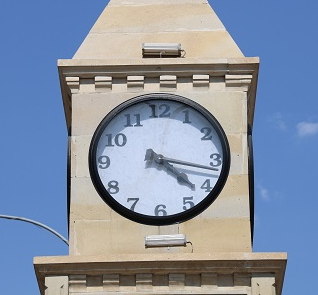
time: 4:16
